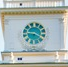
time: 3:44
